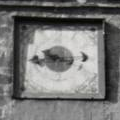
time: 9:43
